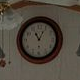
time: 11:04
